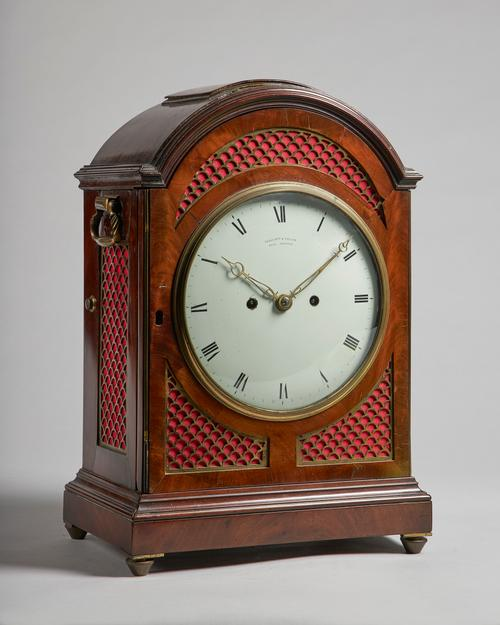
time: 3:09
